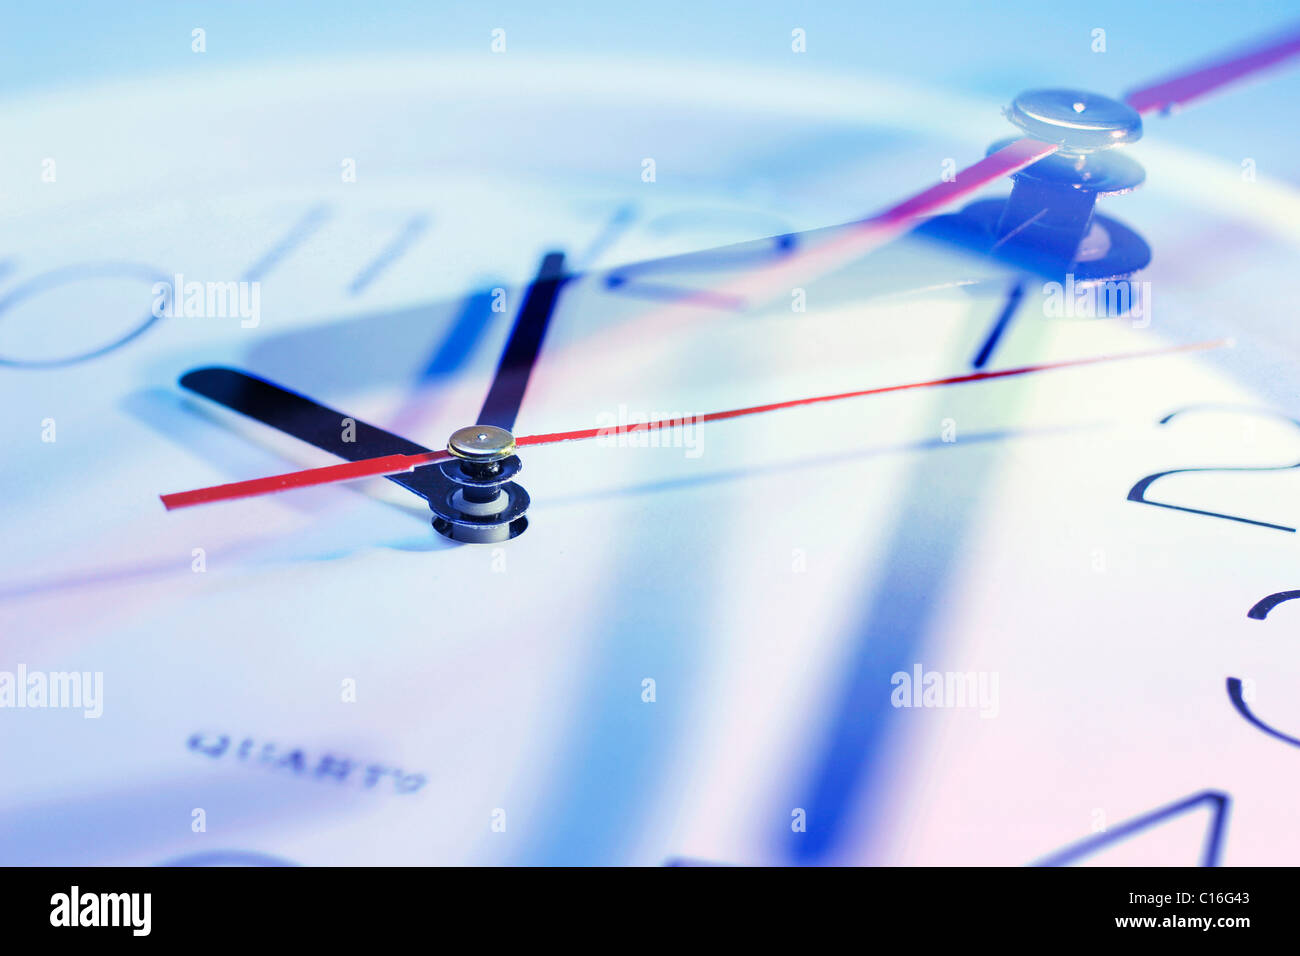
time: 11:48
